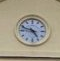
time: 4:48
